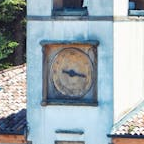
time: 9:16
